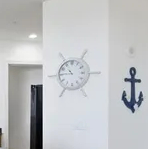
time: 10:45
